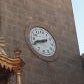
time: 8:41
